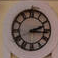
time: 2:16
